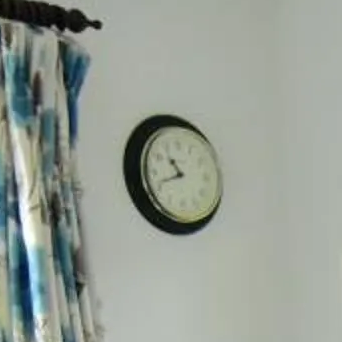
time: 10:42
